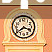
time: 3:39
